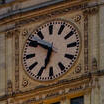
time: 6:50
